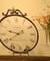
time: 9:39
